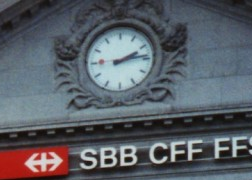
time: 2:14
